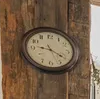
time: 9:20
